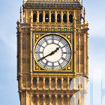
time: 1:40
